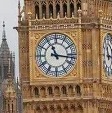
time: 11:16
